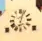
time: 6:03
